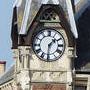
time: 1:31
